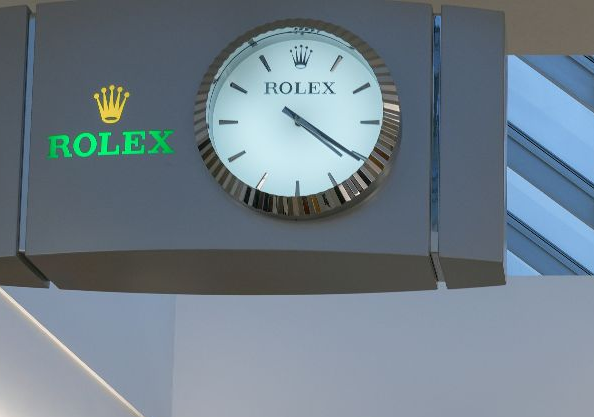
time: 4:20
